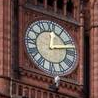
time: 12:12
